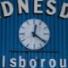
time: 12:21
